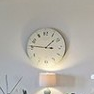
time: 1:46
